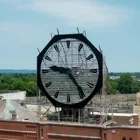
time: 9:23
